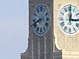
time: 8:41
